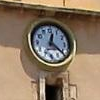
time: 12:21
